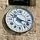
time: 10:17
